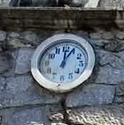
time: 12:04
